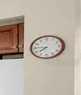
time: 7:45
